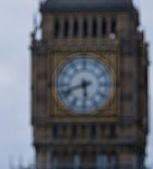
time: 5:41
